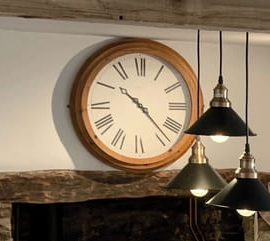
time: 10:22
